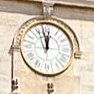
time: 11:57
